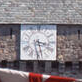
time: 3:28
